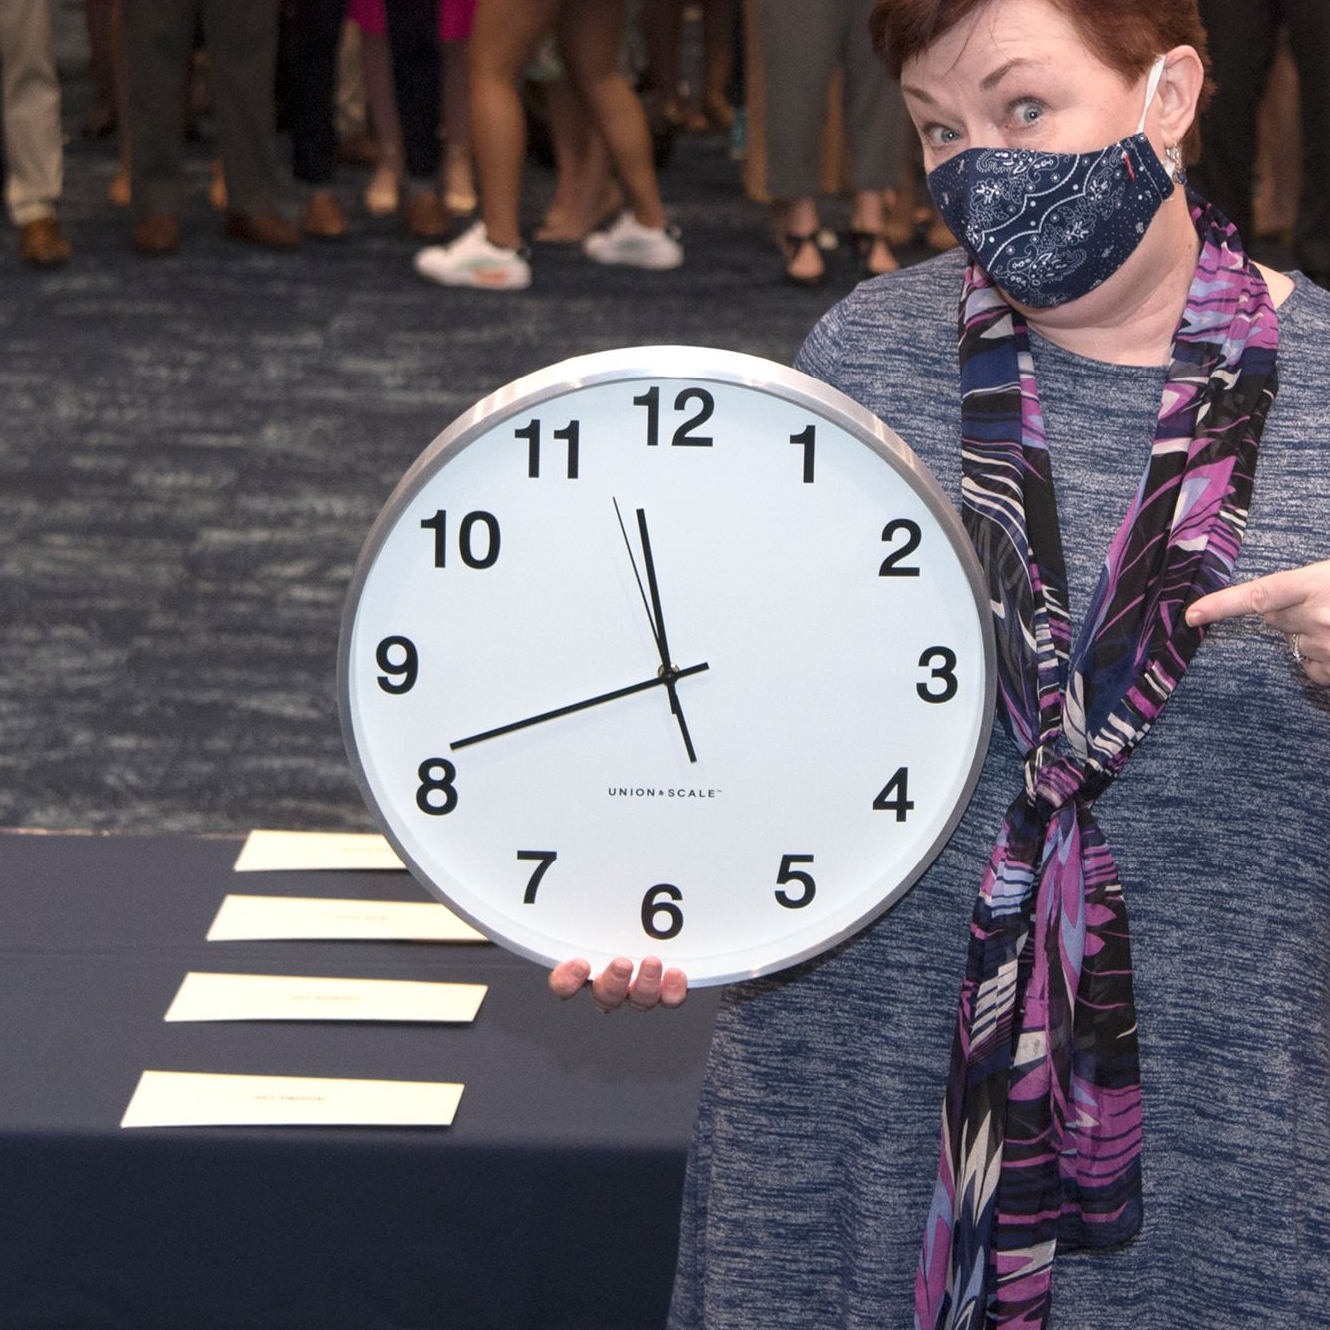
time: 11:41
